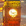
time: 4:12
